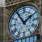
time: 1:54
